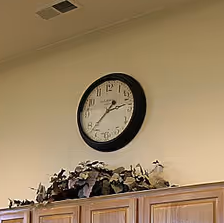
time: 2:37
